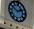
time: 1:50
